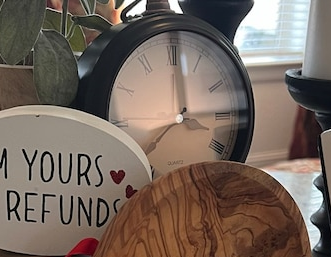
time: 12:14
